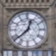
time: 12:38
